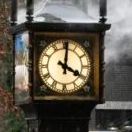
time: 4:00
